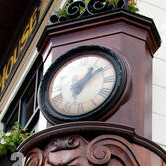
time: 1:09
